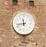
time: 11:43
